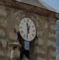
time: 11:32
